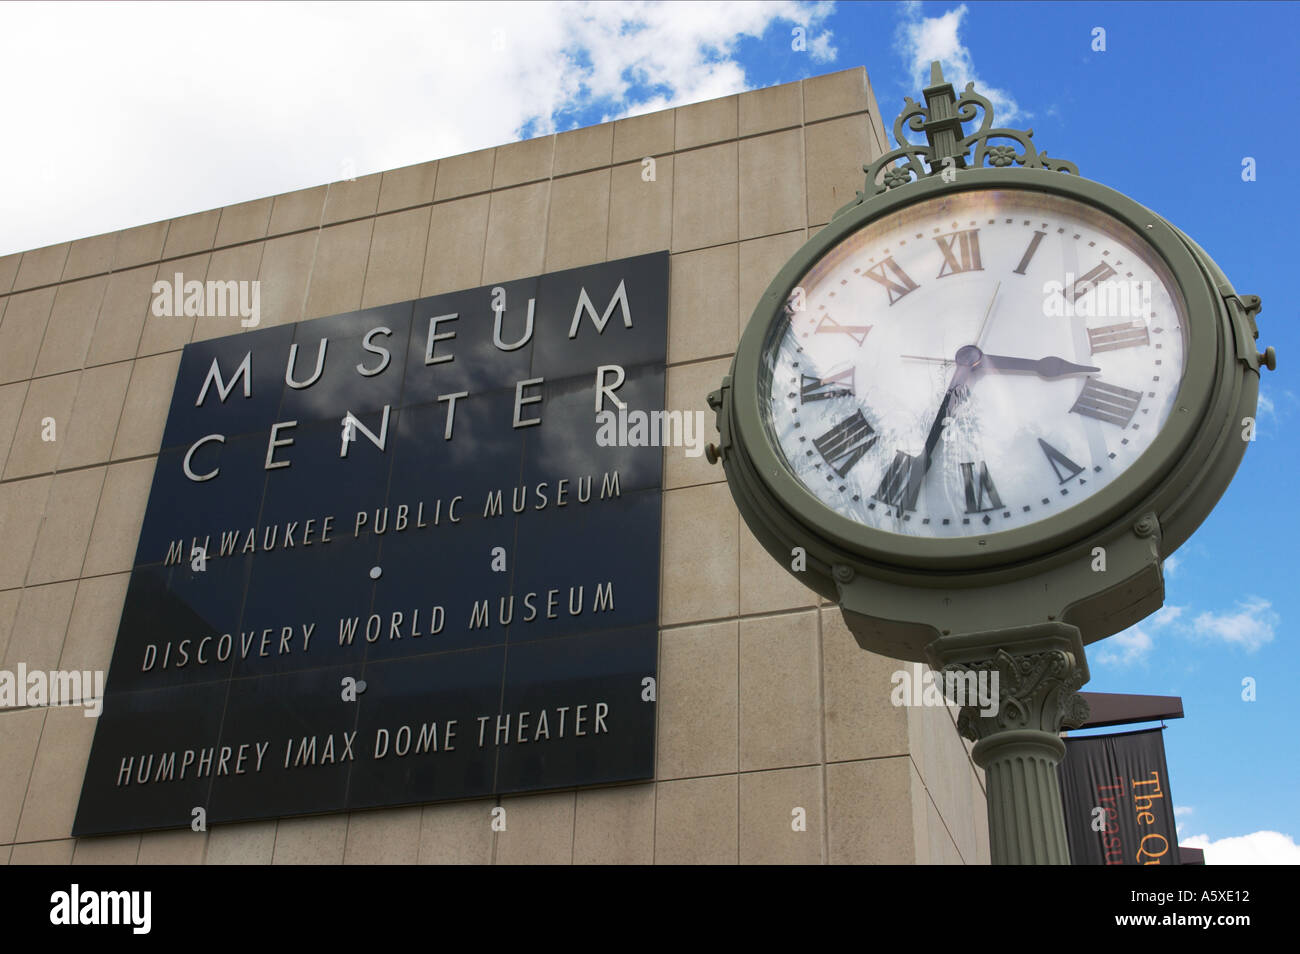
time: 3:33
